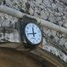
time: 11:42
